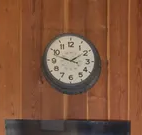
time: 1:47
